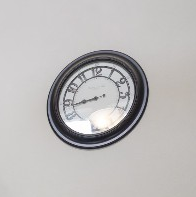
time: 8:43
